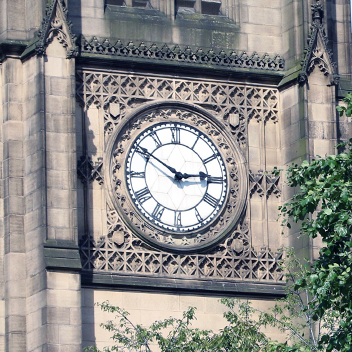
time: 2:50
